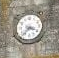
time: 3:37
